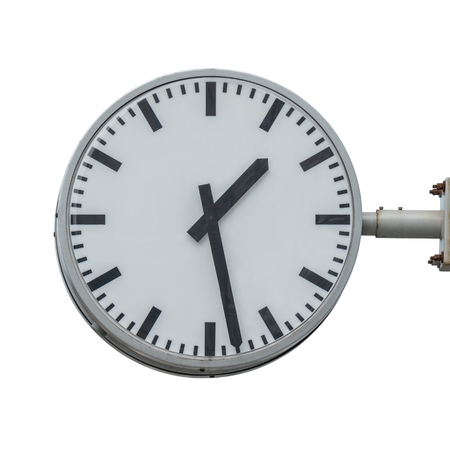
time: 1:28
